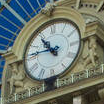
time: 10:45
